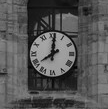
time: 8:00
